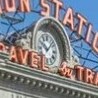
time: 10:07
